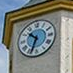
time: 10:33
